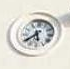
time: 5:38
